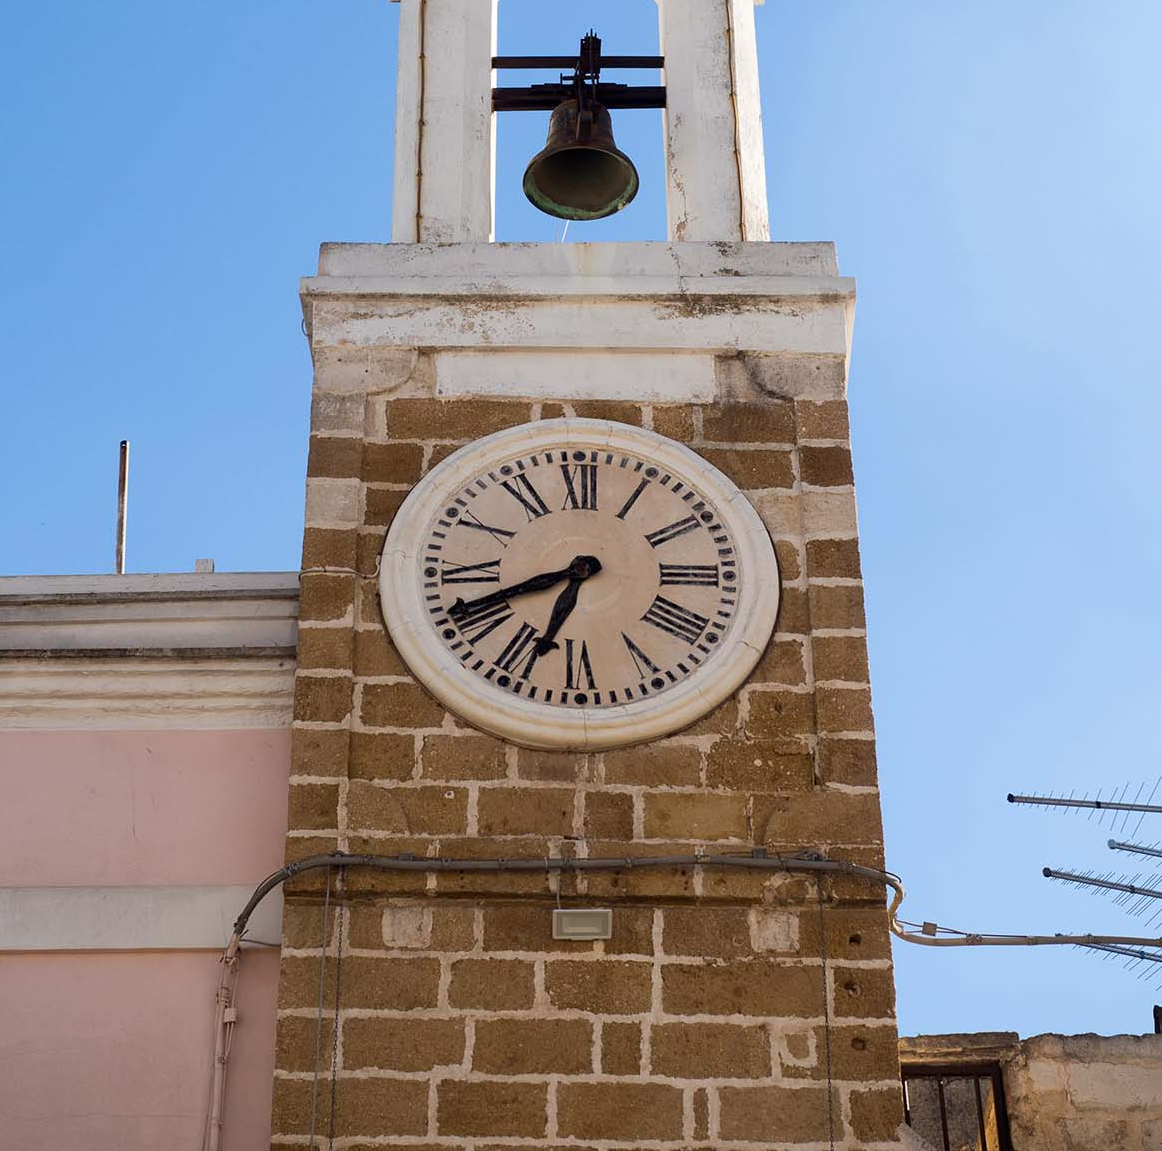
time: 6:41
